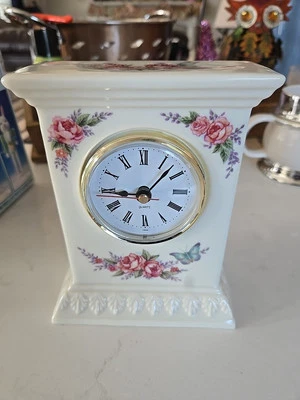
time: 9:07
